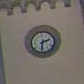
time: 2:31
